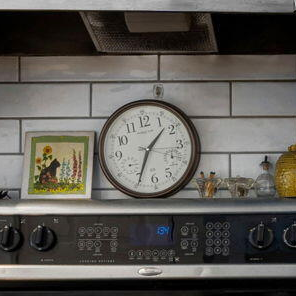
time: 1:34
